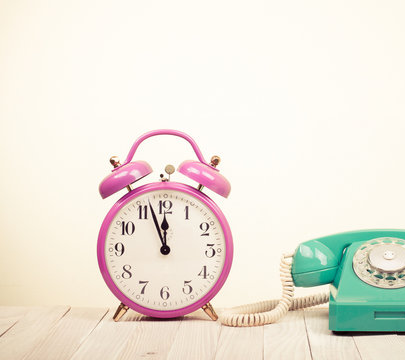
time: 11:56
